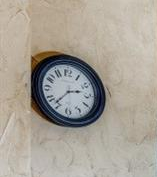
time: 2:36
